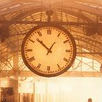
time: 12:52
